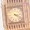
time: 3:21
